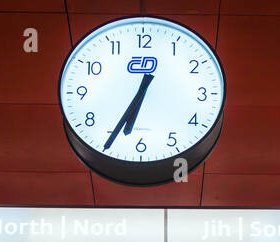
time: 6:34
